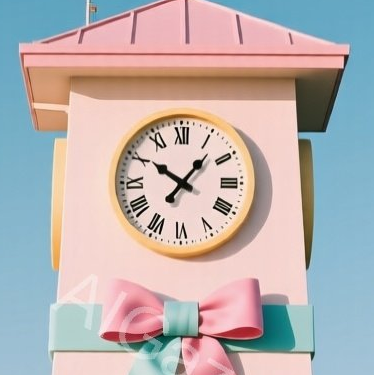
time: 10:06
